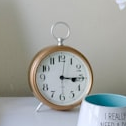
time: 3:14
